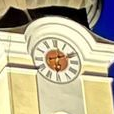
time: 6:11
